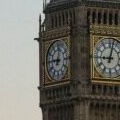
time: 9:01
